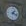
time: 1:20
